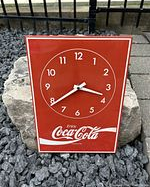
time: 3:39
